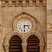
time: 6:14
